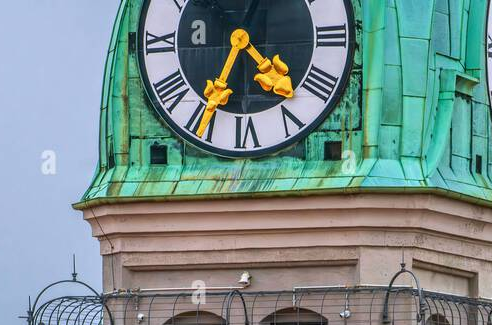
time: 4:34
